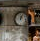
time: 12:04
